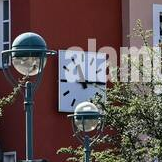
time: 11:14
